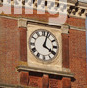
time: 4:03
